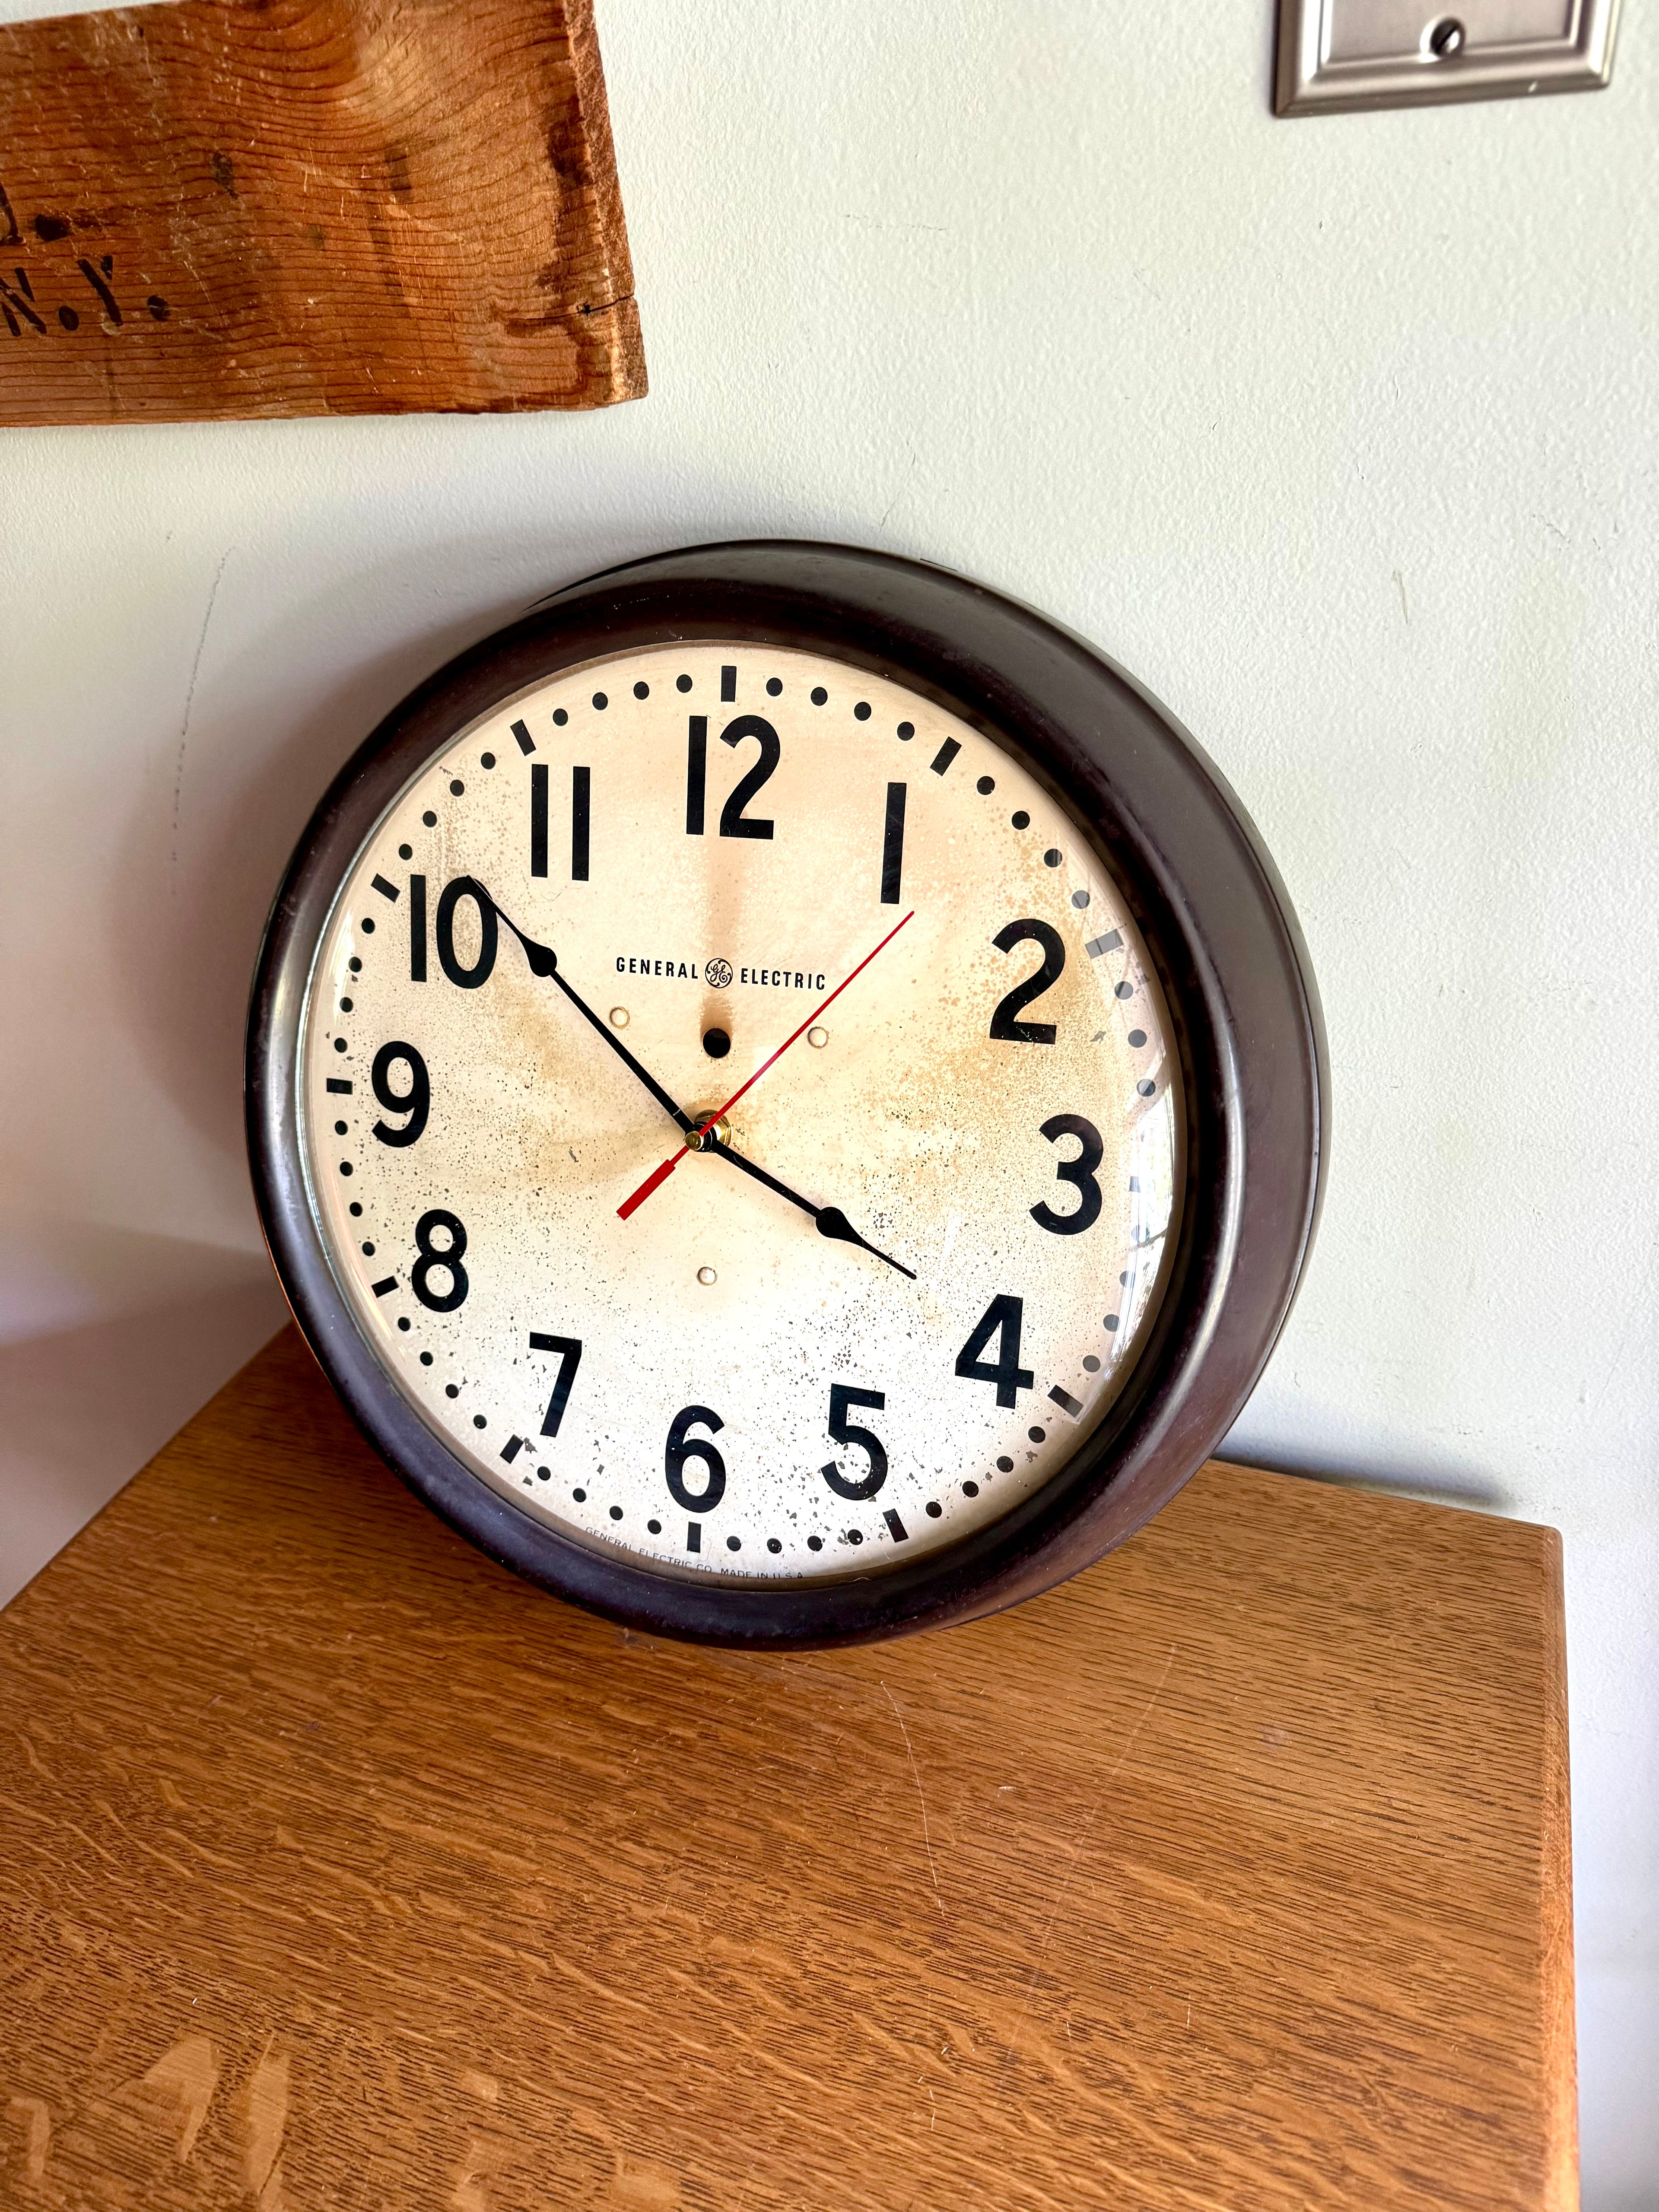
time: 3:51
